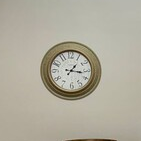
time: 1:16
